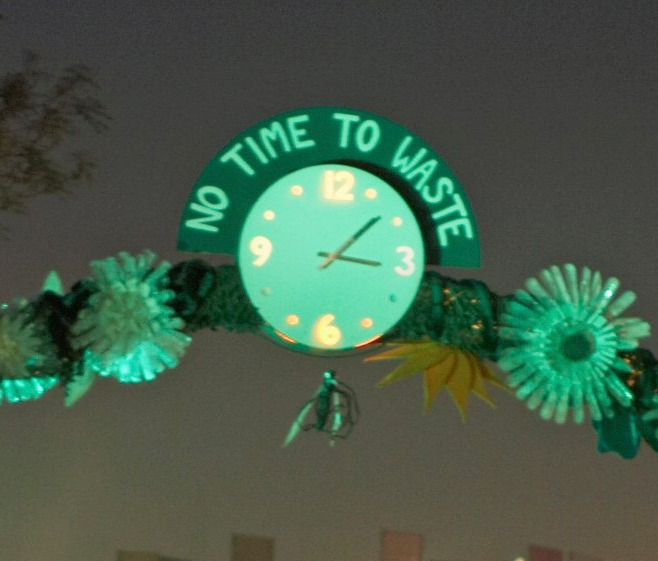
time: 3:08
